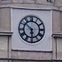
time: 5:51
